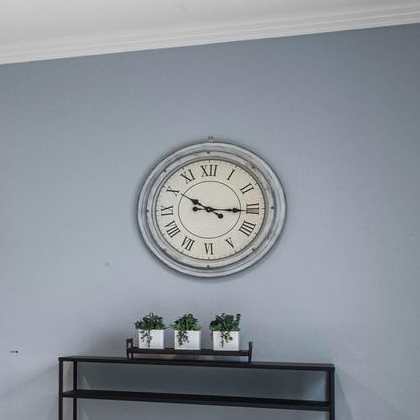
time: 10:15
